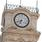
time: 6:41
